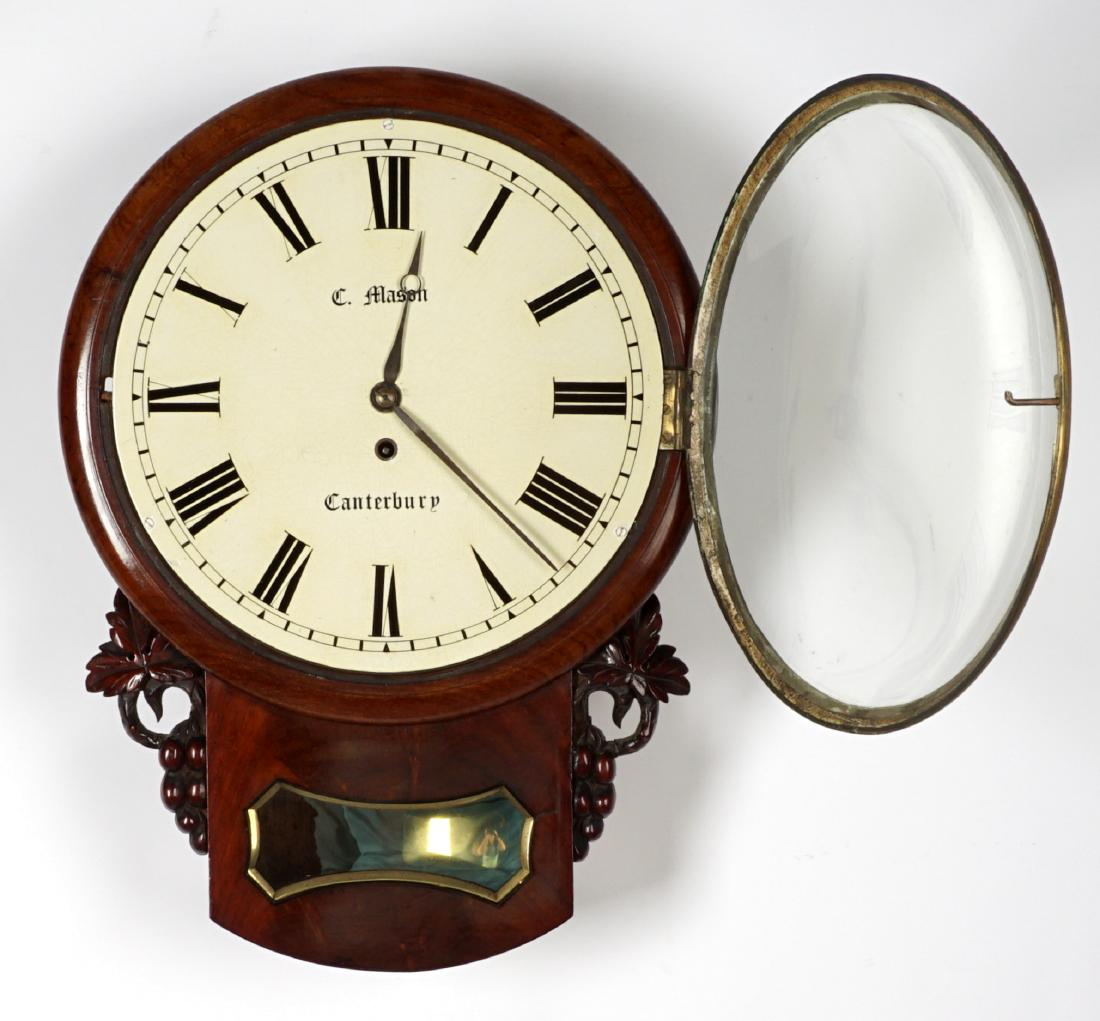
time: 12:22
